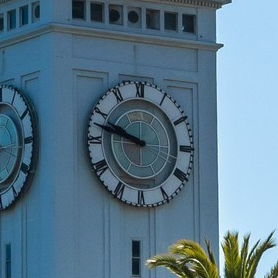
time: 9:47
